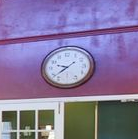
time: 9:38
